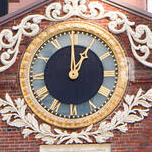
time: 1:00
